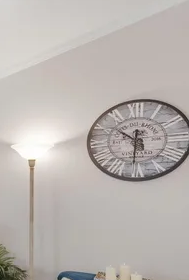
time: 10:31
